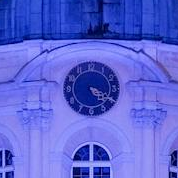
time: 4:19
